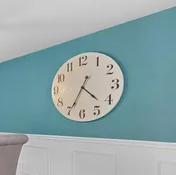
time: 4:34
